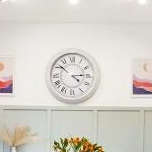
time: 4:14
